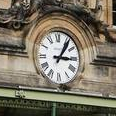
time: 3:05
